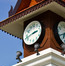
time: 2:42
